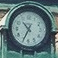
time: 10:34
